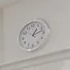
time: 1:12
